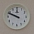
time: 9:48
